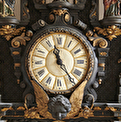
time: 11:24
